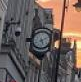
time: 5:11
